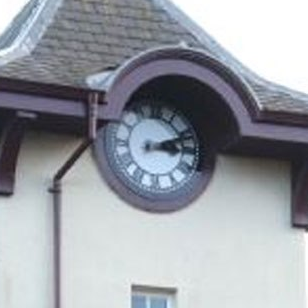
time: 3:11
